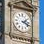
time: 2:18
